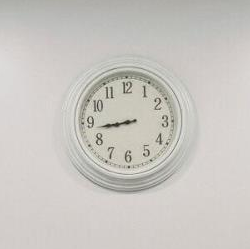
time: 8:43
